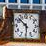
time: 5:52
